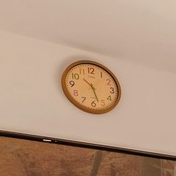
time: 10:27
